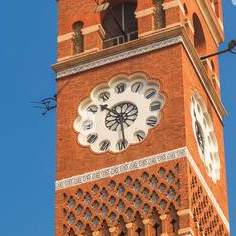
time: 10:29
